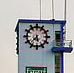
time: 5:37
